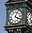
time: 4:04
